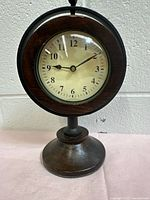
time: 9:09
